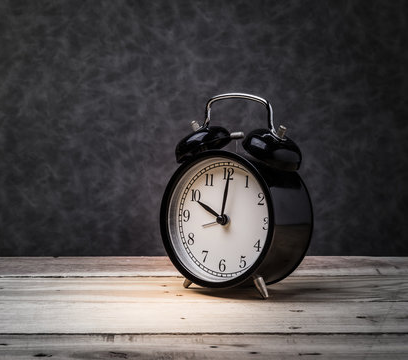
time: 10:00
